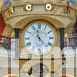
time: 11:22
